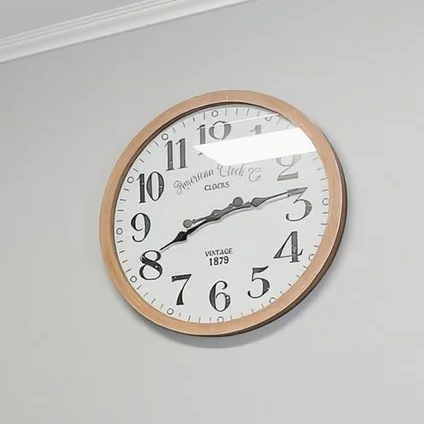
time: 8:12
